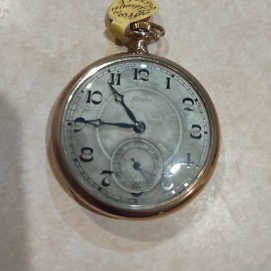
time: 10:45
